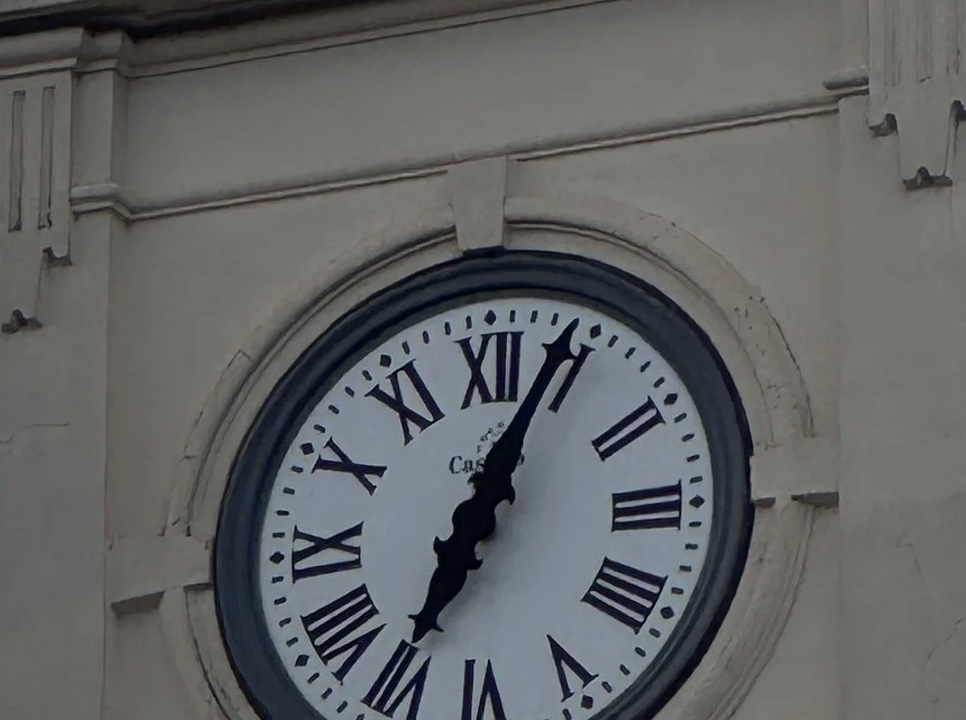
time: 7:04
